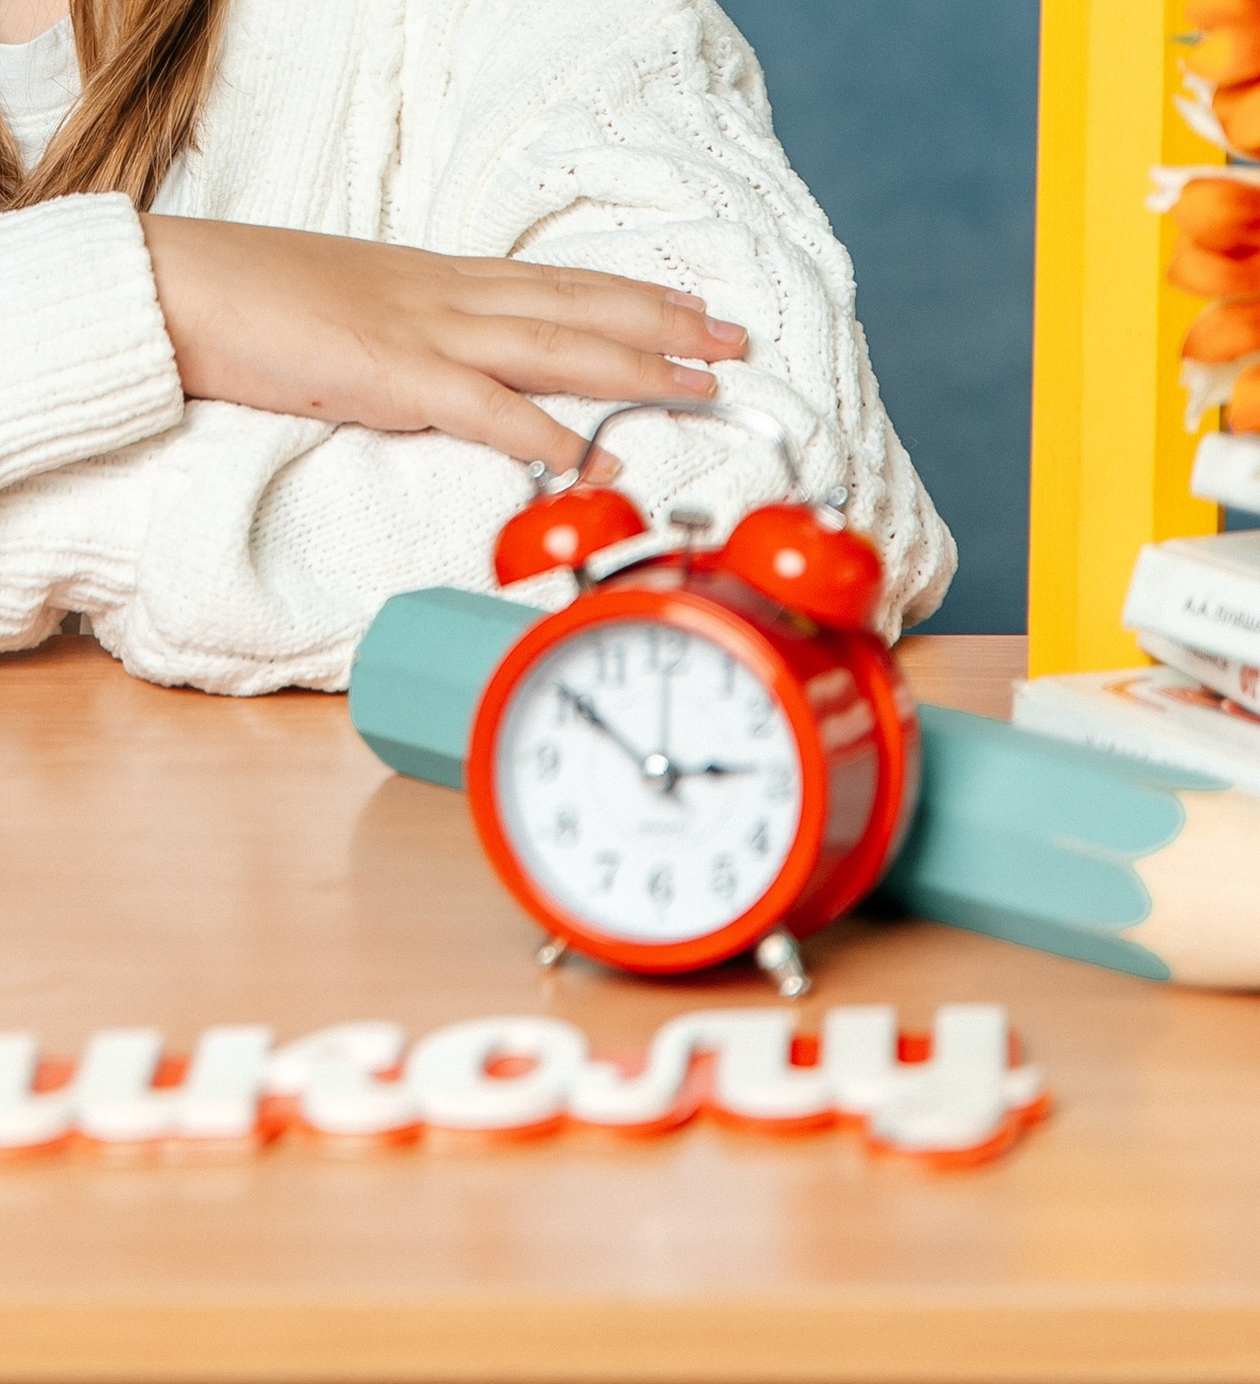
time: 2:50
